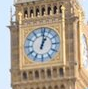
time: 1:02
